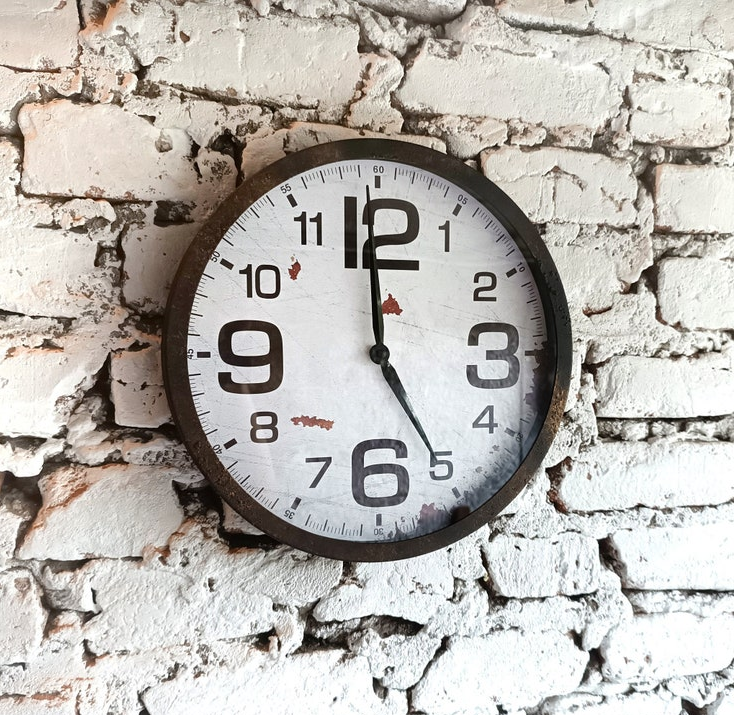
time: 4:59
